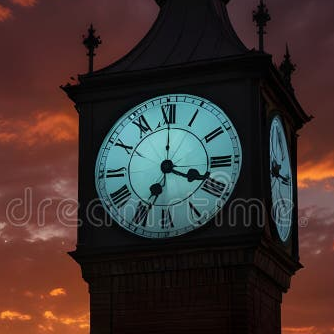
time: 3:34
